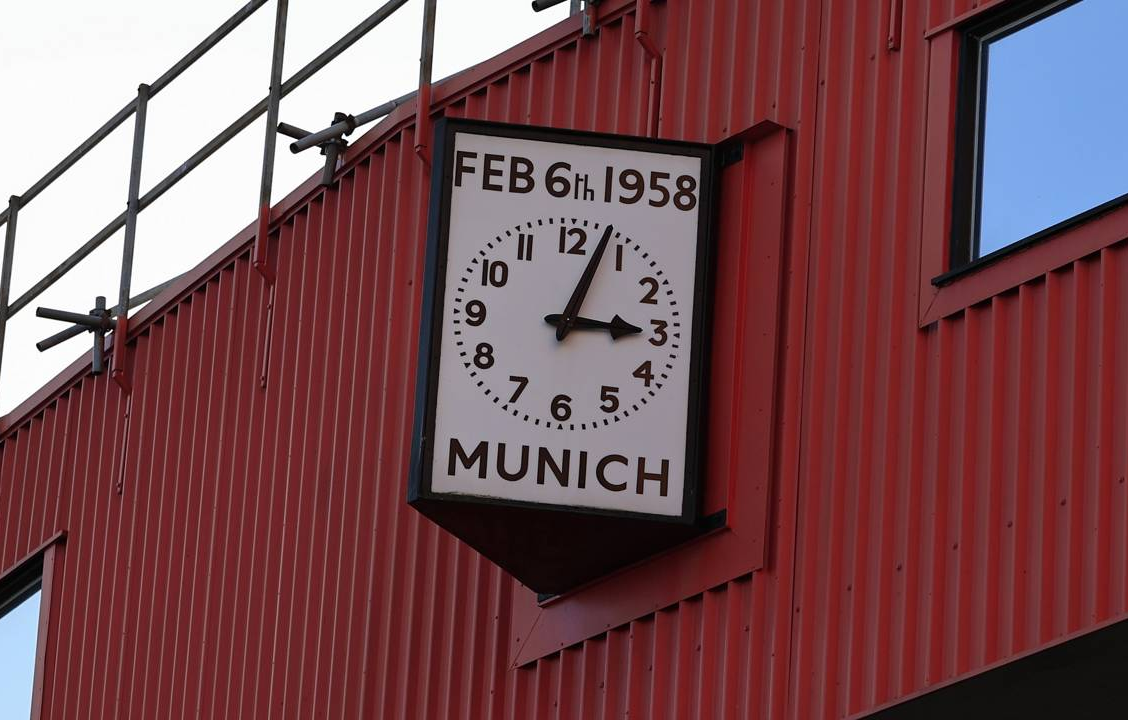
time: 3:03
